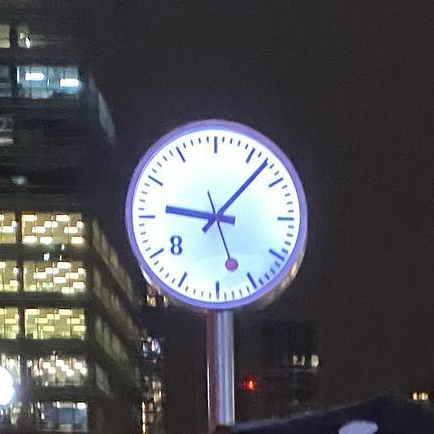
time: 9:07
